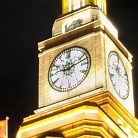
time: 9:12
